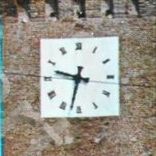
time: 9:32
